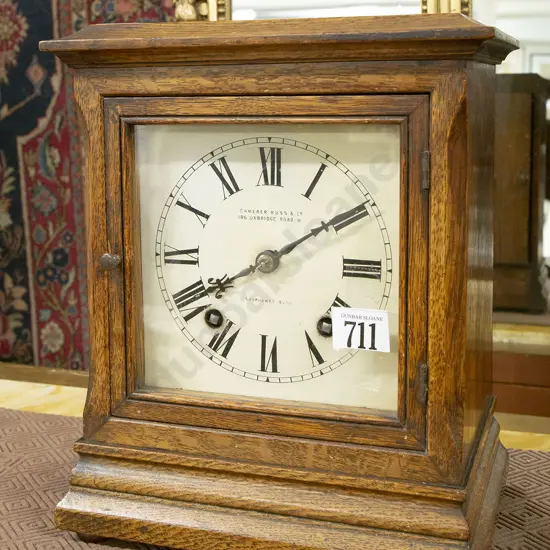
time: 8:09
